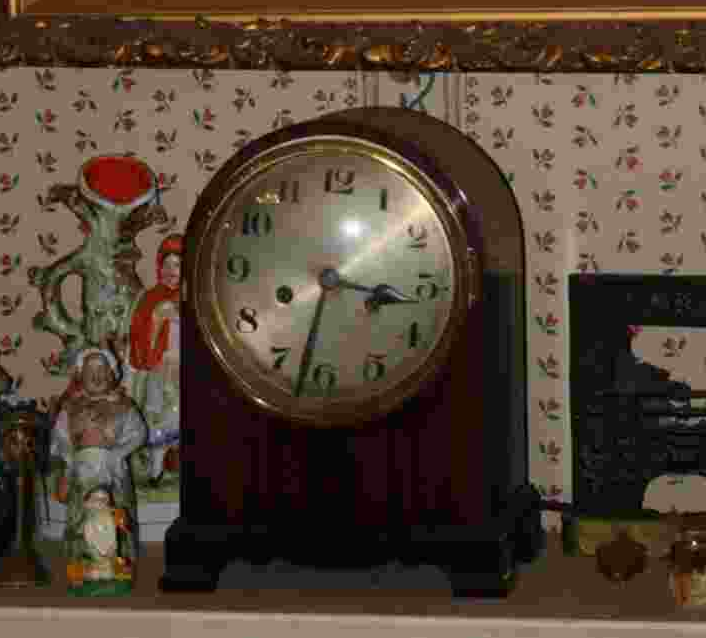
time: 3:32
